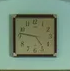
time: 4:46
